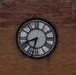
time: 8:32
